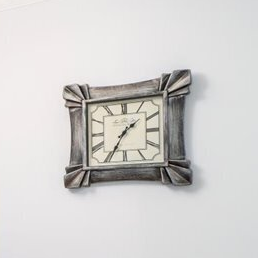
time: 1:34
